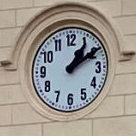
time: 1:10
